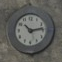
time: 10:13
